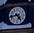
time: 4:42
